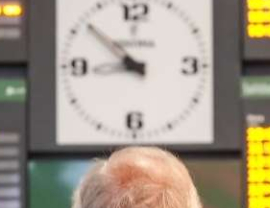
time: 8:51
